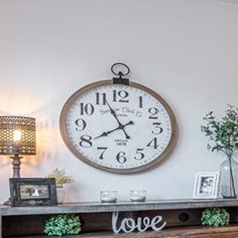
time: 7:55
